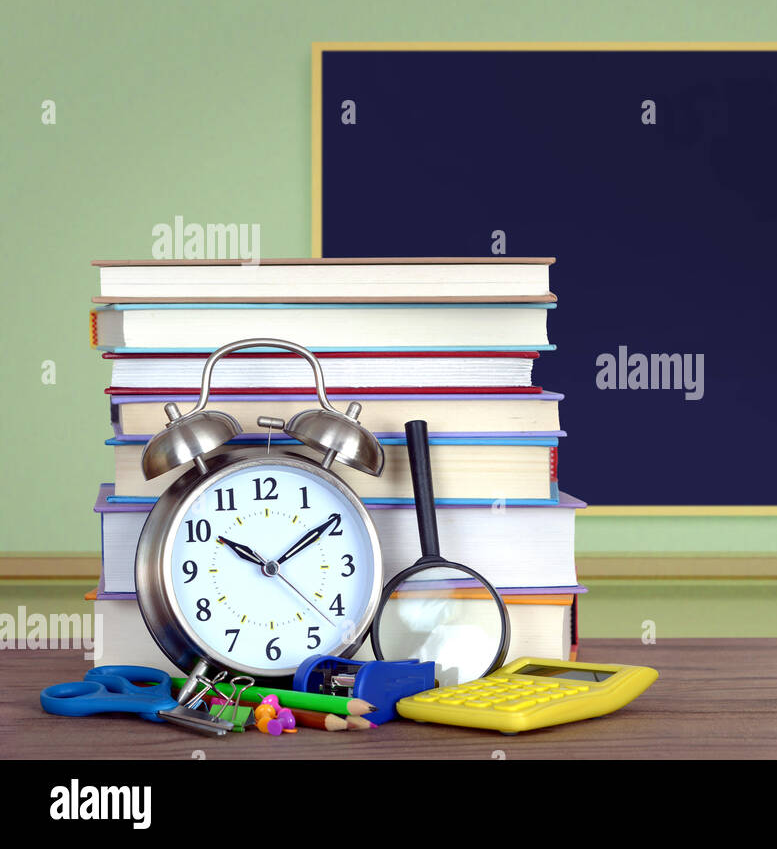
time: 10:09
